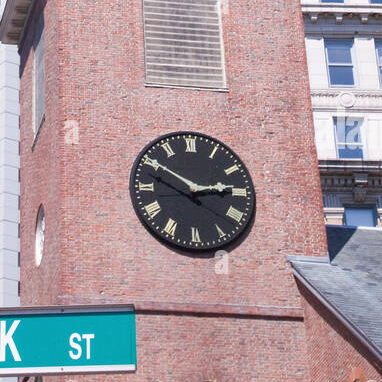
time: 2:50
